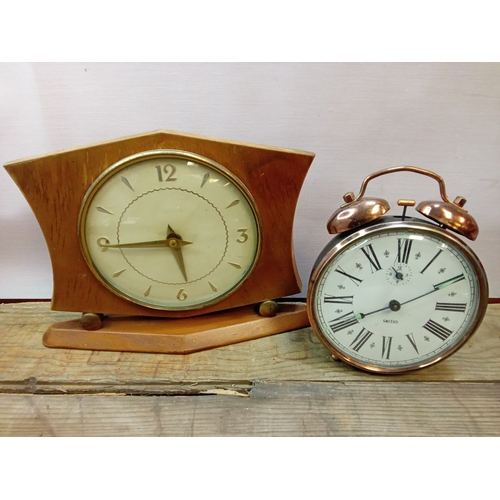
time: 5:44
